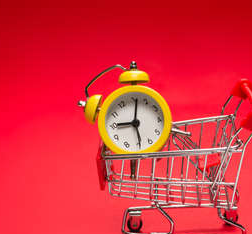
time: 9:01
